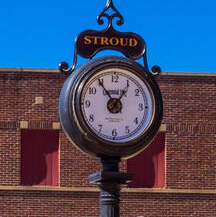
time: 12:54
